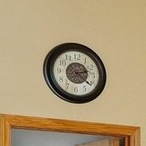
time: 2:21
